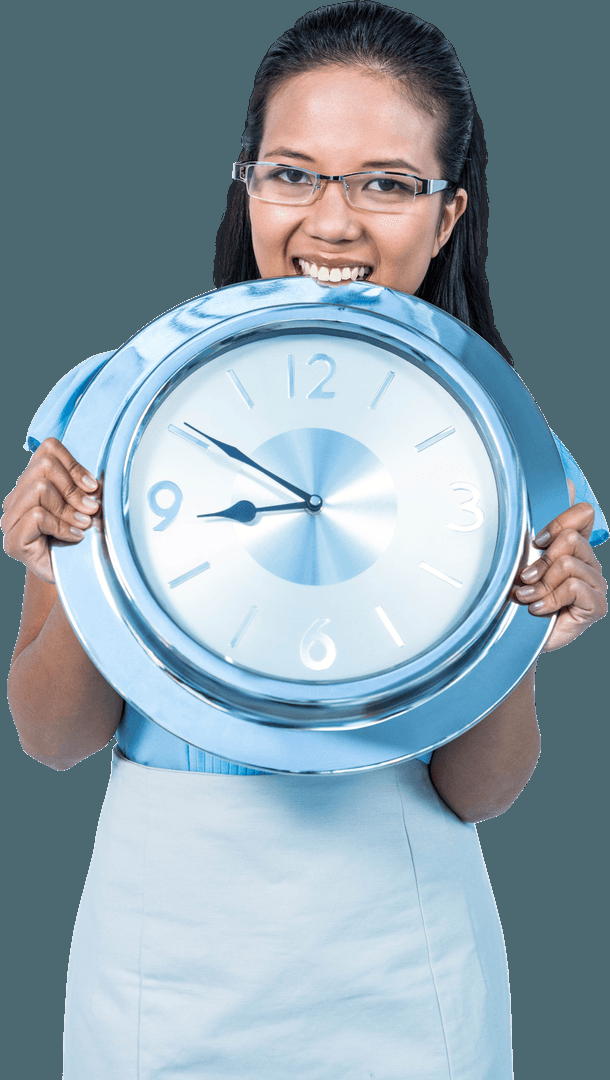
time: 8:50
